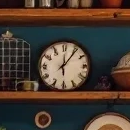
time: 12:06
